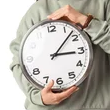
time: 3:07
